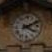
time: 4:10
